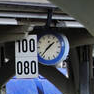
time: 1:36
